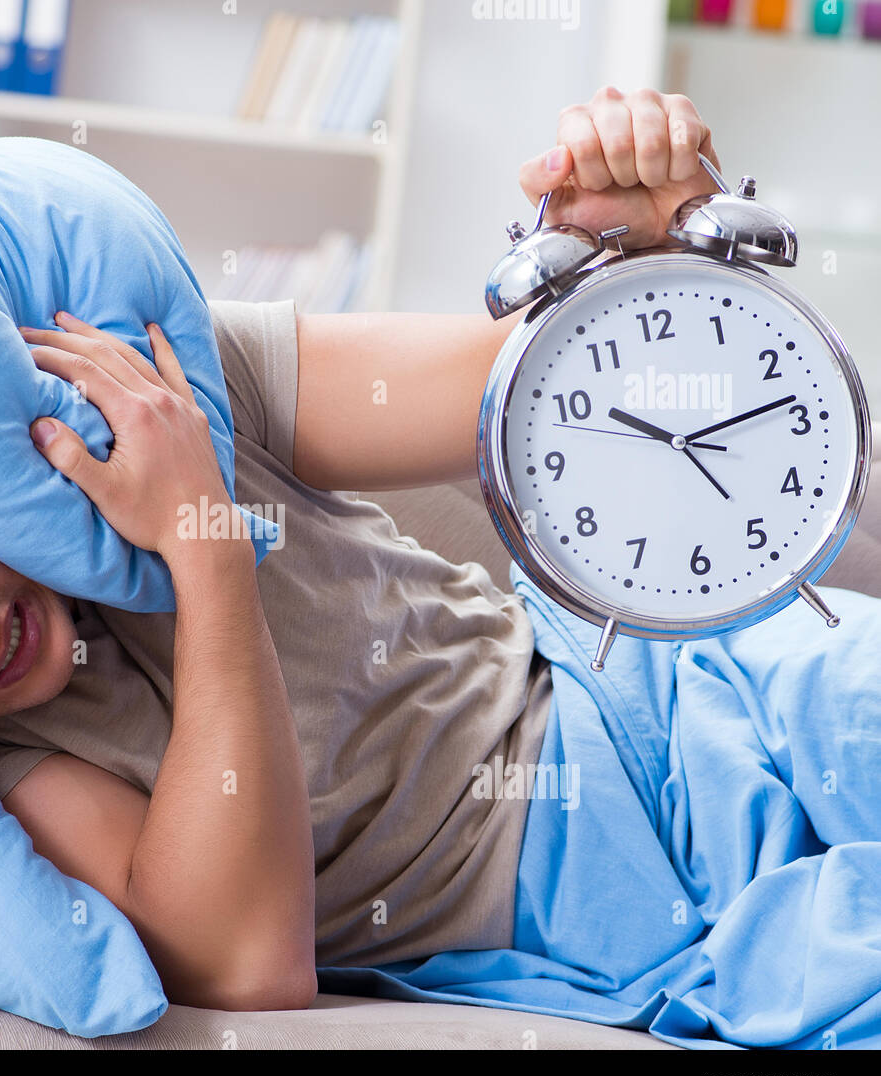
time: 10:13
